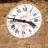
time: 3:47
